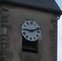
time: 9:11
